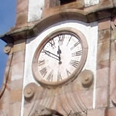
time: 11:50
